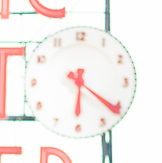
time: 6:20
